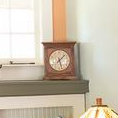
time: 5:08
